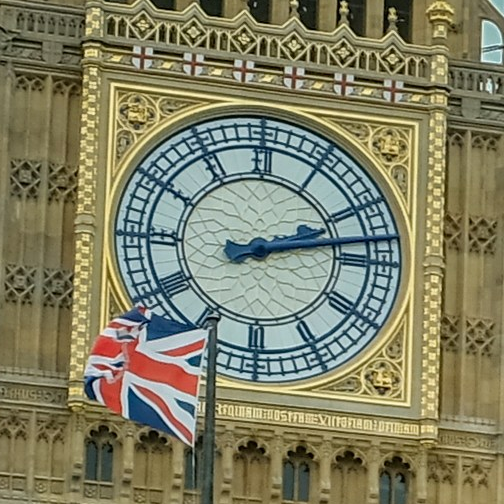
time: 2:12
